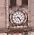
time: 4:44
